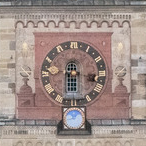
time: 3:29
